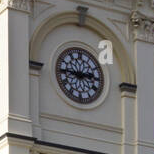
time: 2:45
